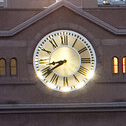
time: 8:39
